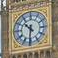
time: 10:31
